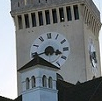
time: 3:40
